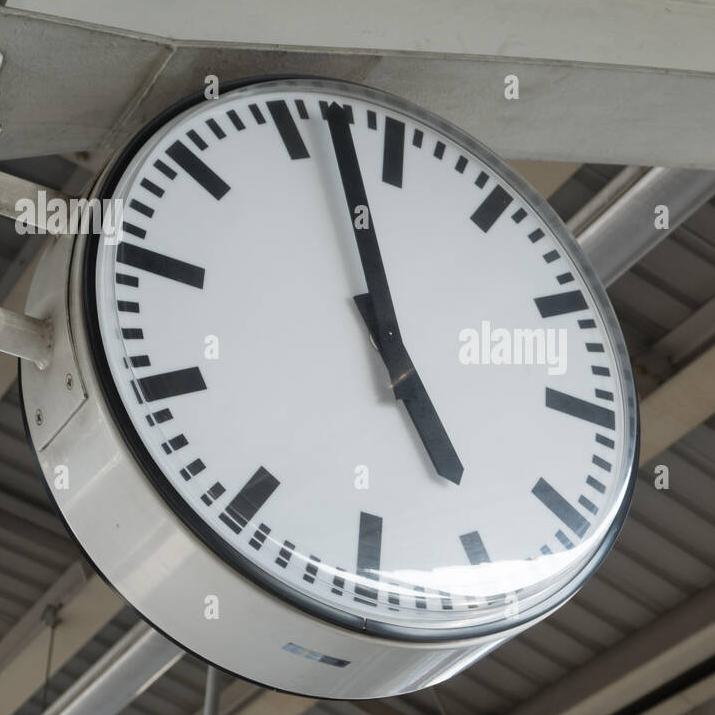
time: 4:57
